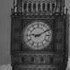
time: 9:10
